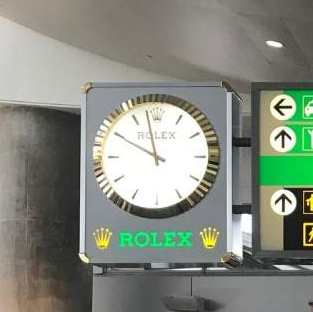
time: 9:57
